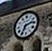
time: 2:34
